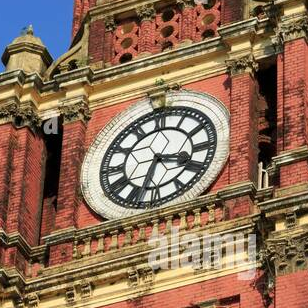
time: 3:32
